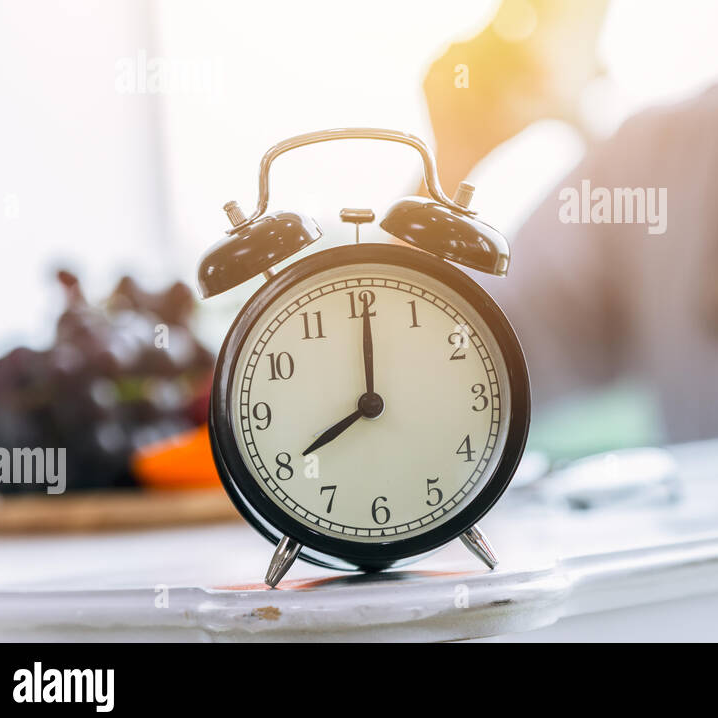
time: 8:00
